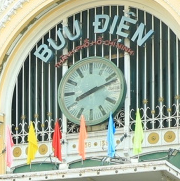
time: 8:12
